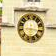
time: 6:15
